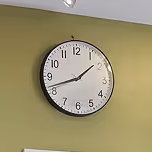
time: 1:41
